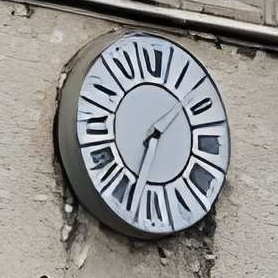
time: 1:33
